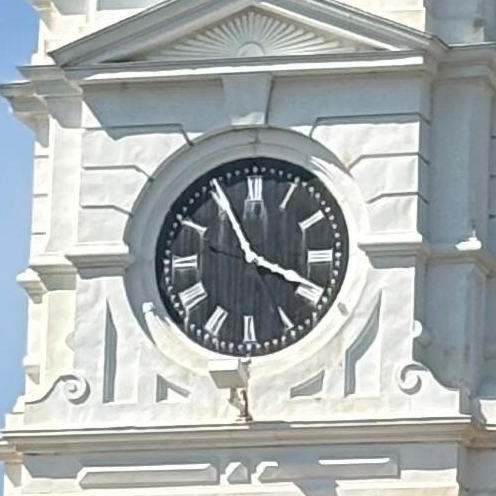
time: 3:55
